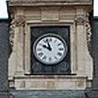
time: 9:56
